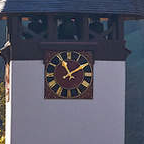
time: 11:09
